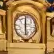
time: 6:00
